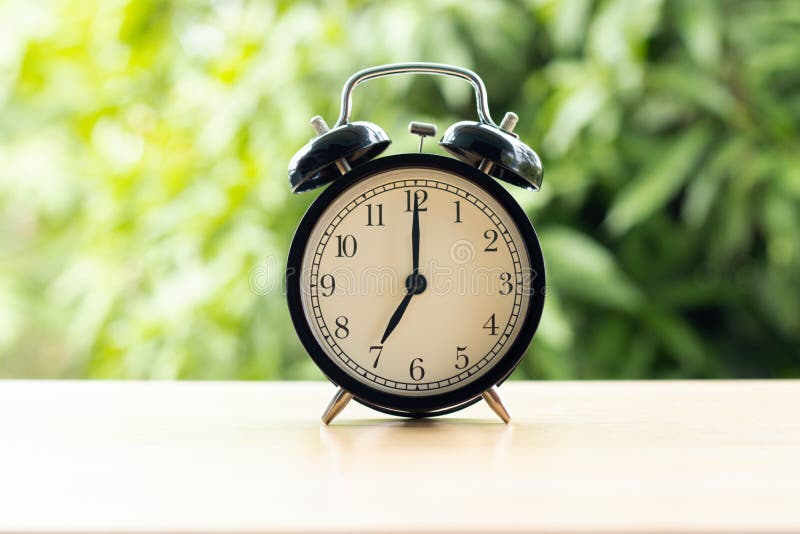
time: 7:00
